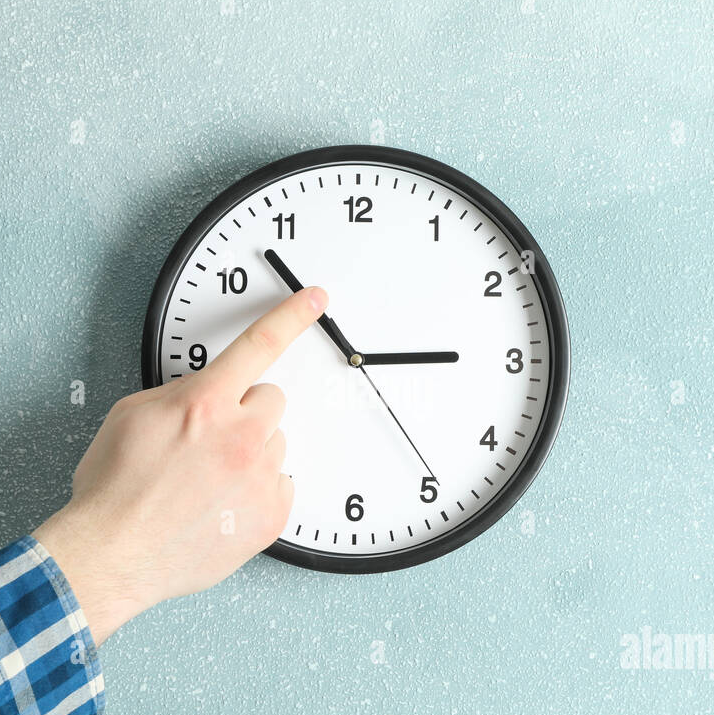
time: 2:53
